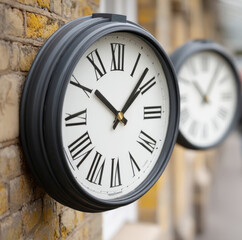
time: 10:07
